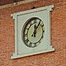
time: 12:06
